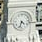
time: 4:32
